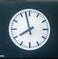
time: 7:57
